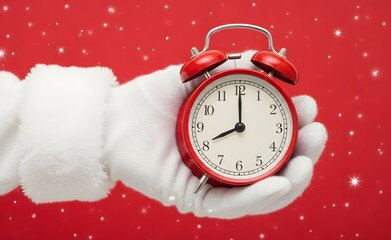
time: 8:00
